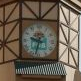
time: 9:33
